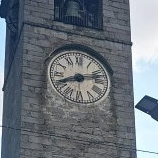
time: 8:12
